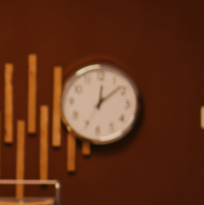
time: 12:08
